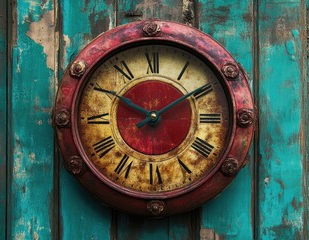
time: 10:09
